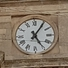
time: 5:05
